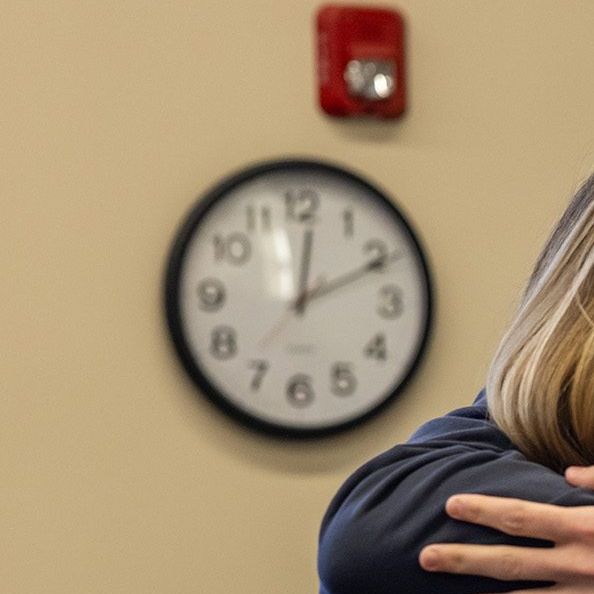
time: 12:10
